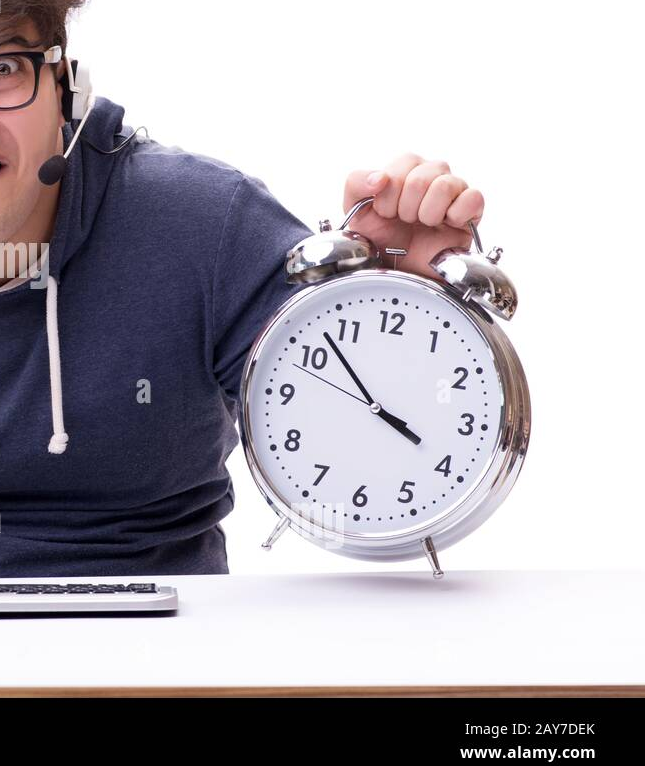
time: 3:52
